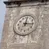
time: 12:16
